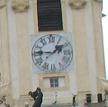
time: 1:46
